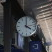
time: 4:00
